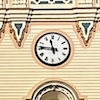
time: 11:46
